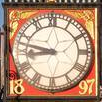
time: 8:47
